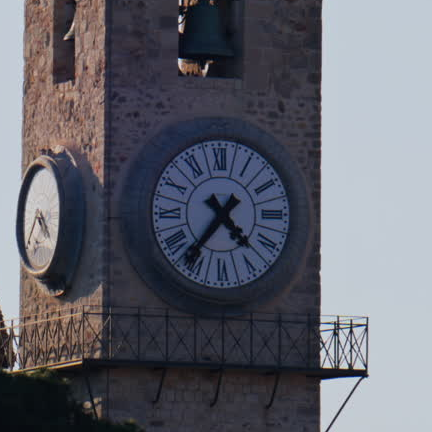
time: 4:36
